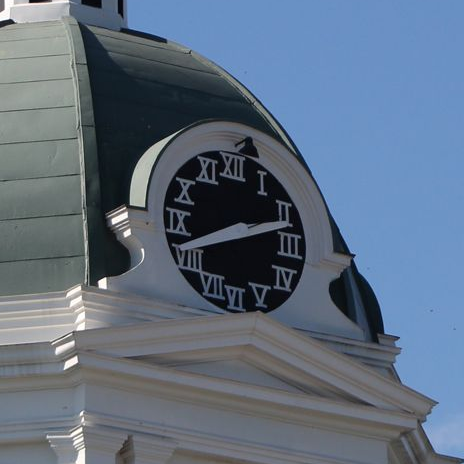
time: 8:12
